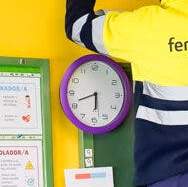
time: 5:41
